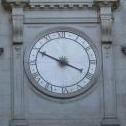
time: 3:49
